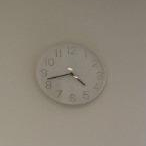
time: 4:42
